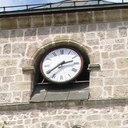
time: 2:39
